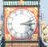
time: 3:12
